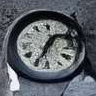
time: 1:34
